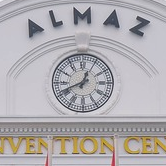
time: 12:41
